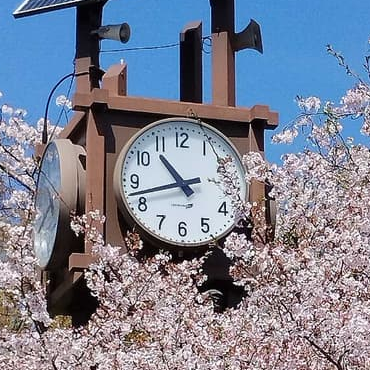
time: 10:42
